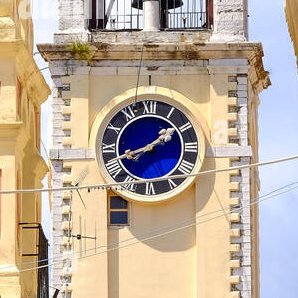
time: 1:41
